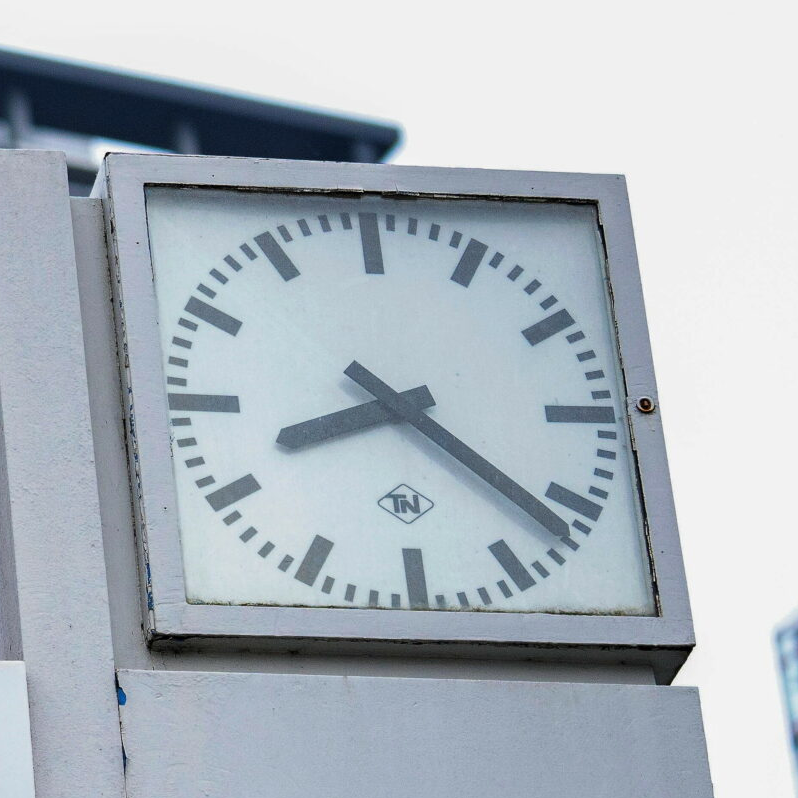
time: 8:21
